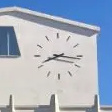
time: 8:16
